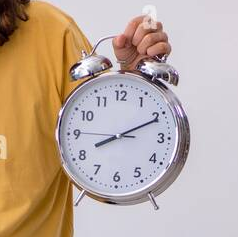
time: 8:10
